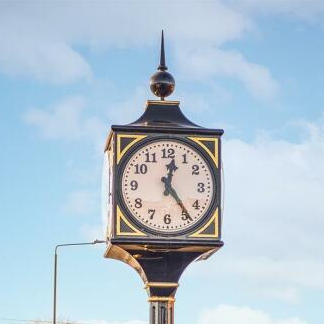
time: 12:23
